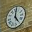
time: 5:01
